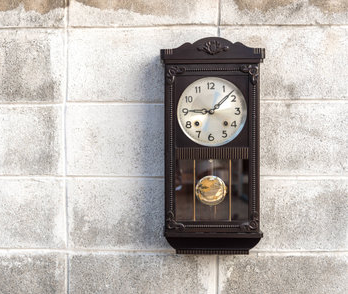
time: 9:07
